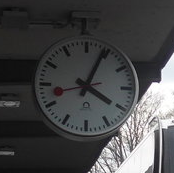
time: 4:04
